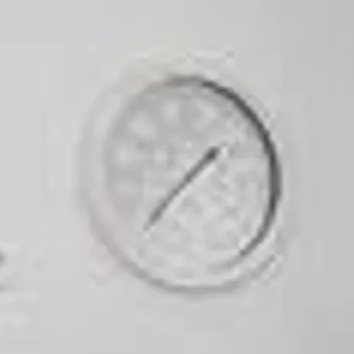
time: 1:37
